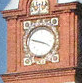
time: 3:47
